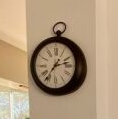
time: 2:36
